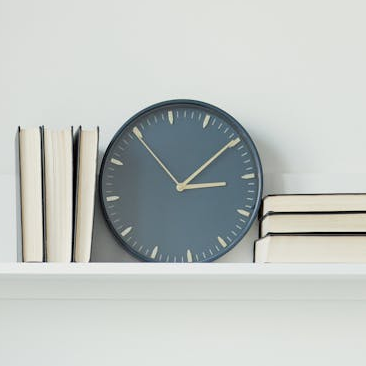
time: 3:09
